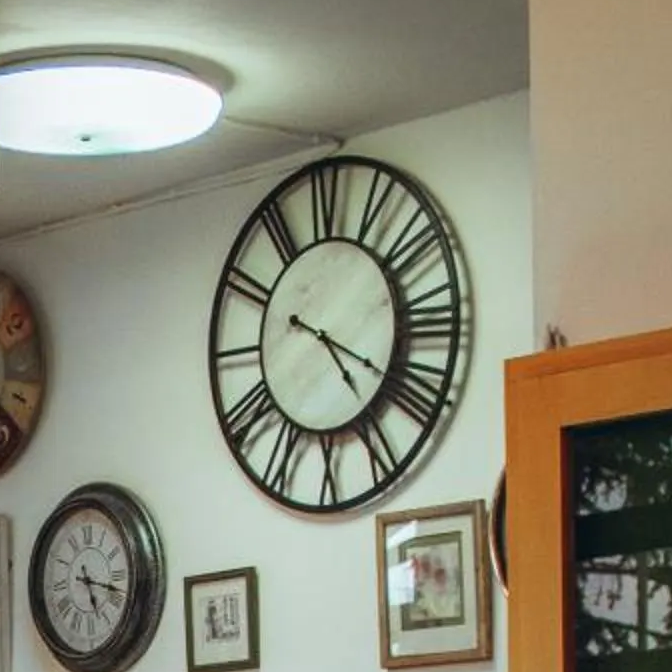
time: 4:19
